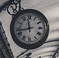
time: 11:42
